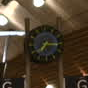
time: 7:15
